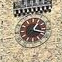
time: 1:17
